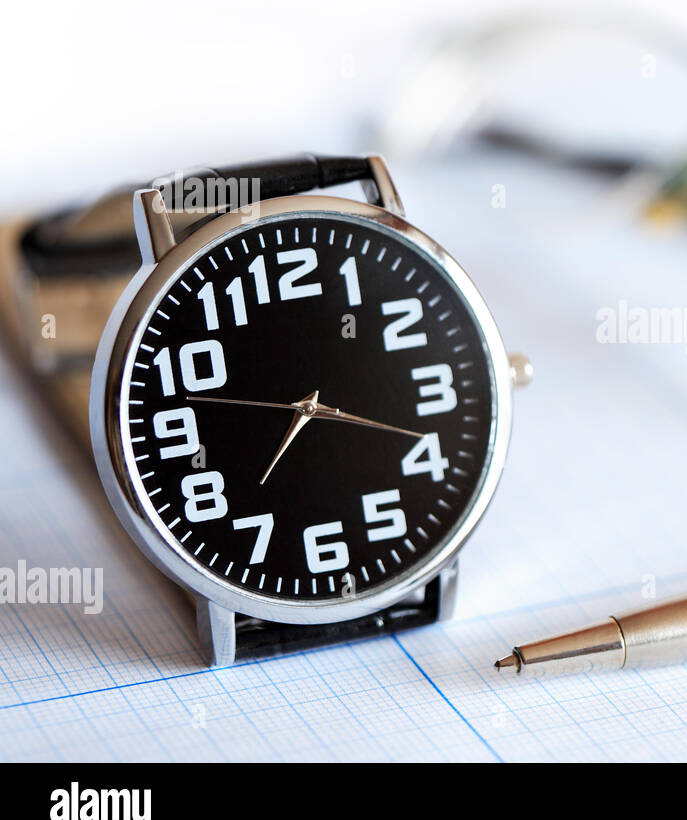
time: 7:18
